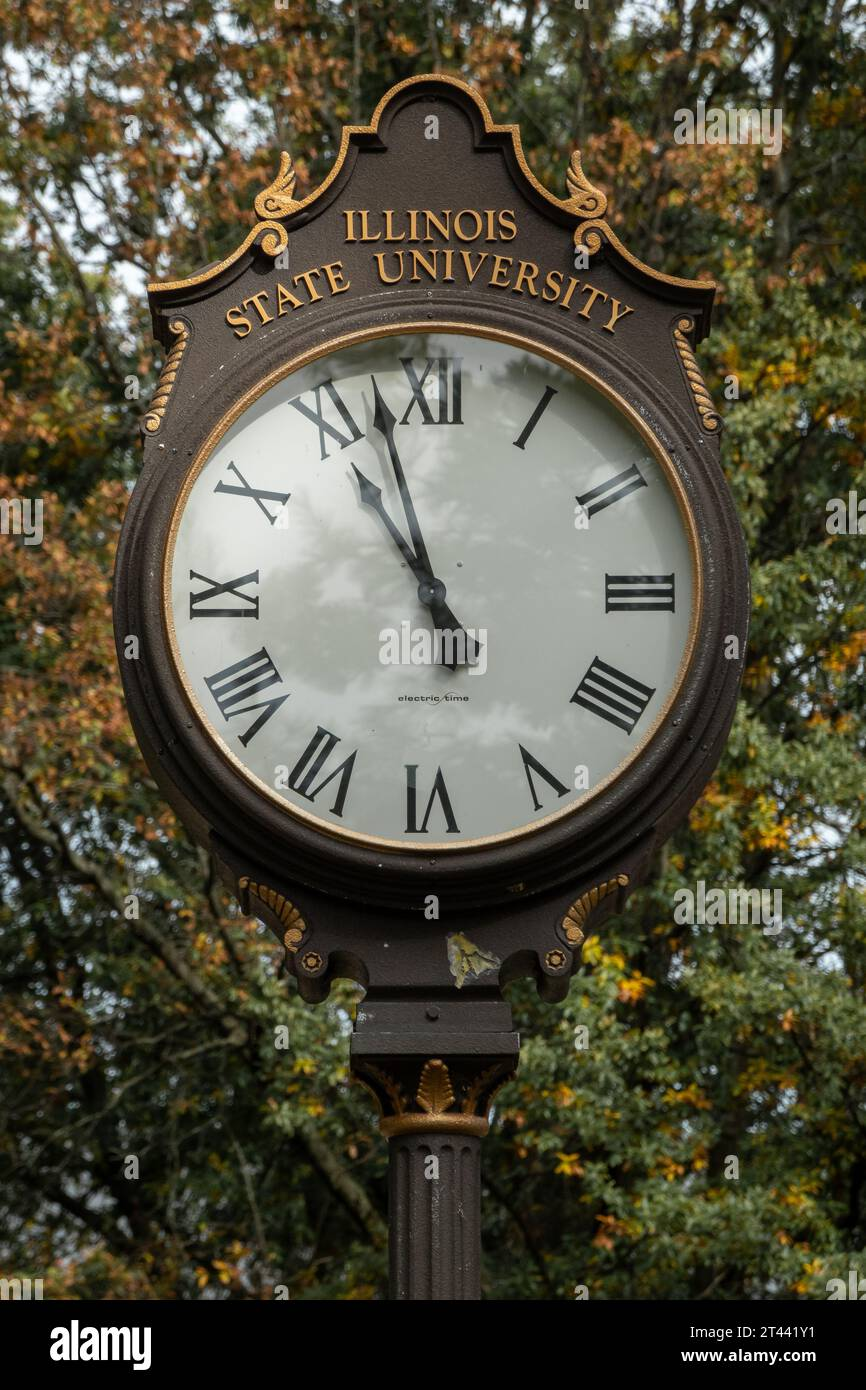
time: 10:57
